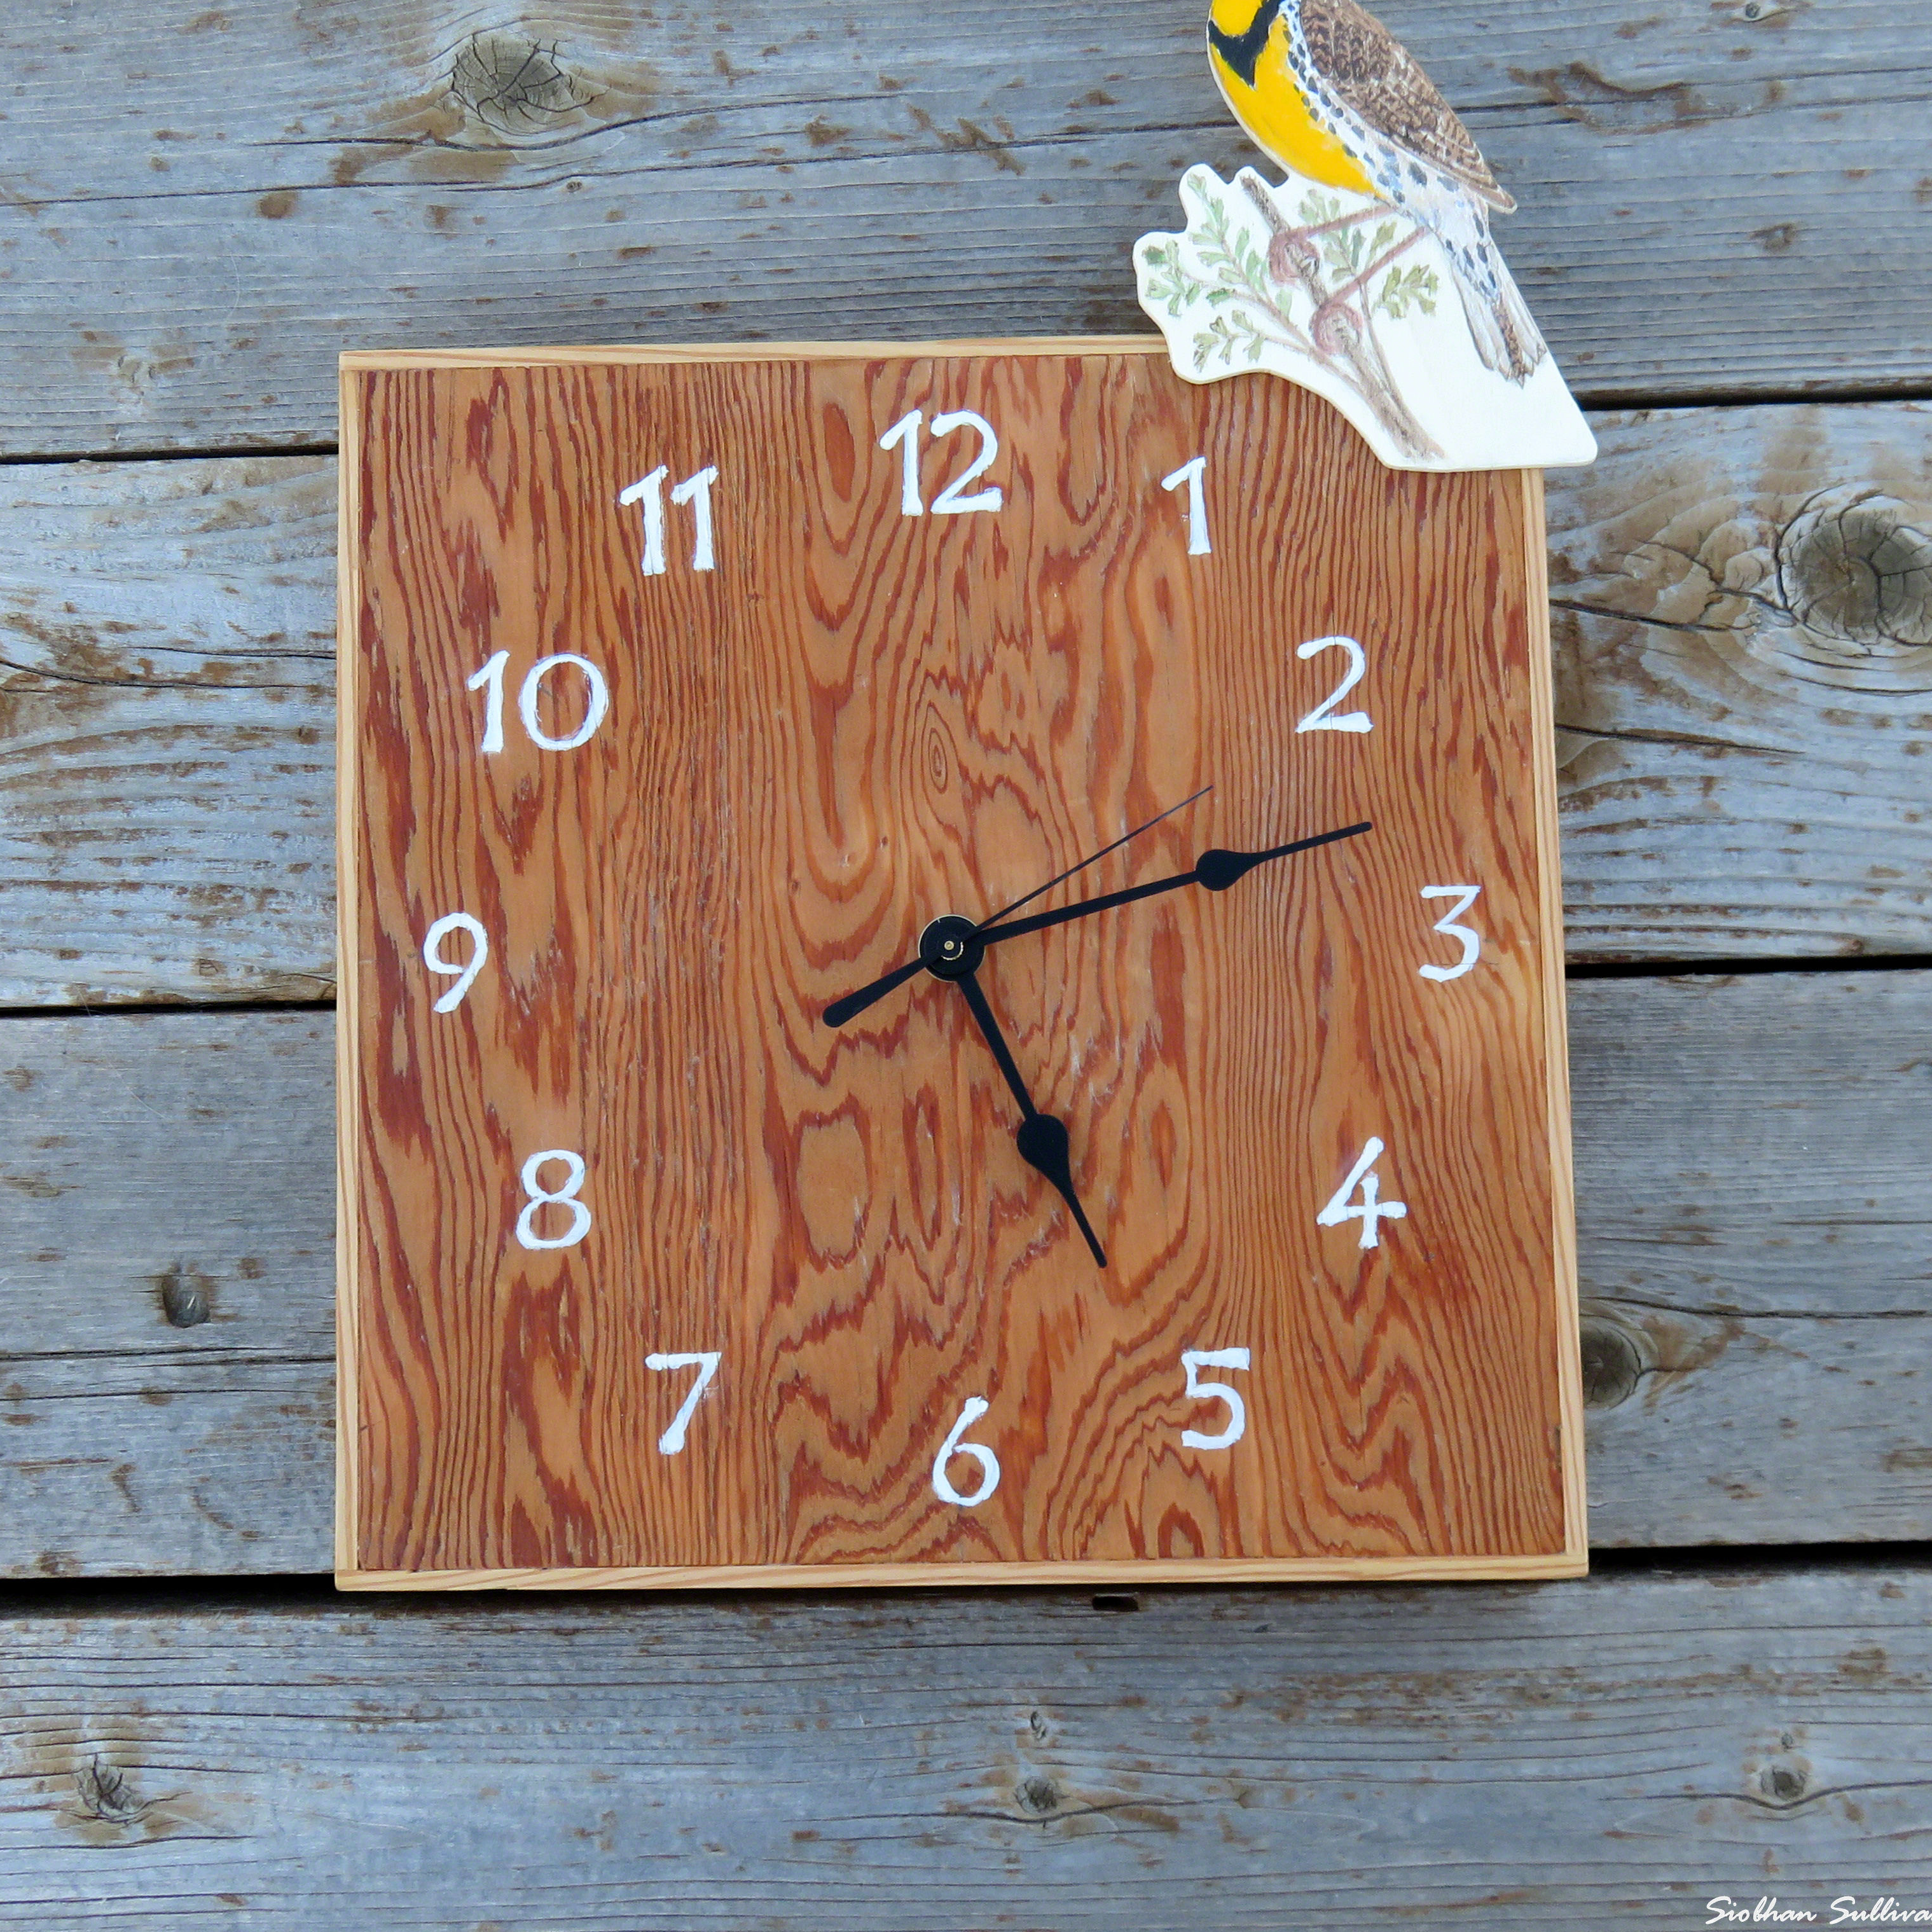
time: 5:12
